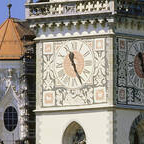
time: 11:25
